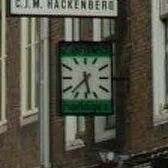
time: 5:37
